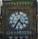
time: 4:35
